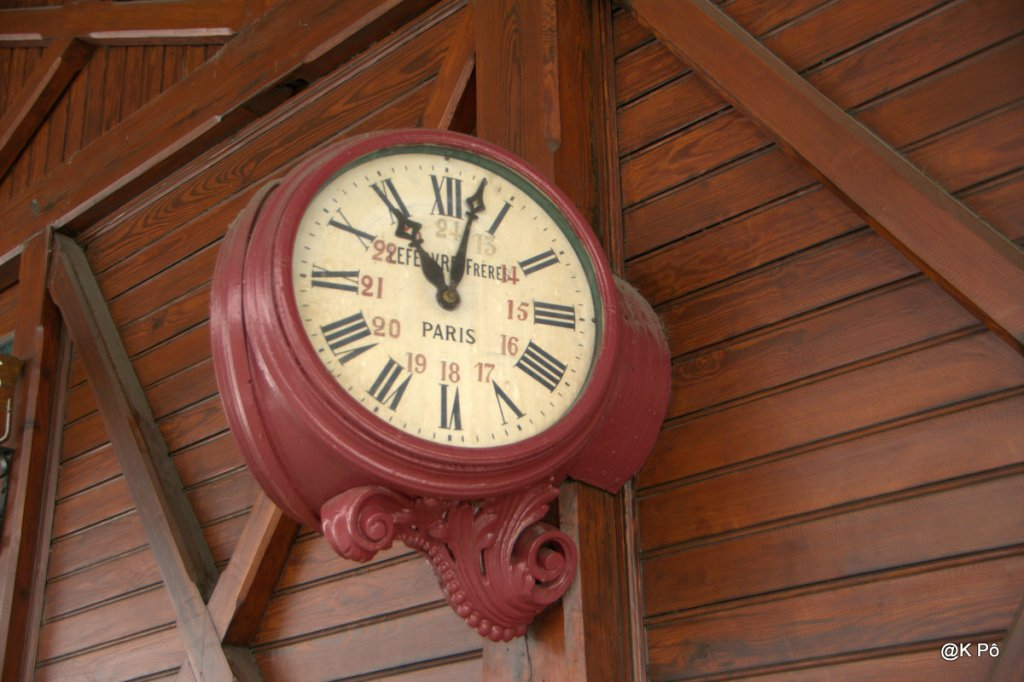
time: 11:02
